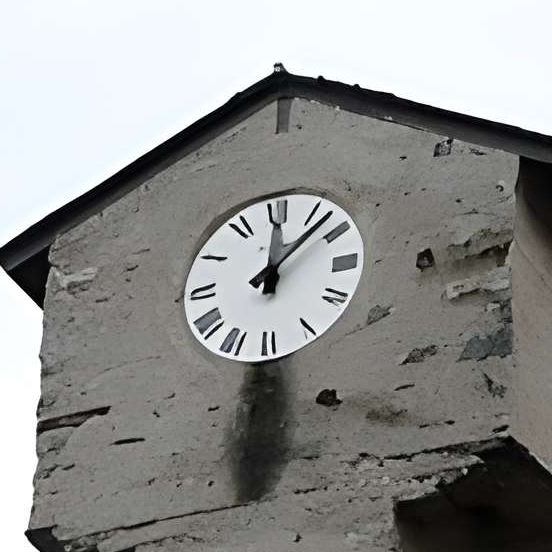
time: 12:07
